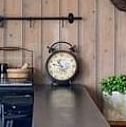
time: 10:47
